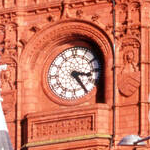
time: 3:24
